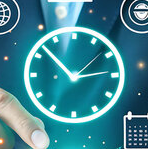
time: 2:52
